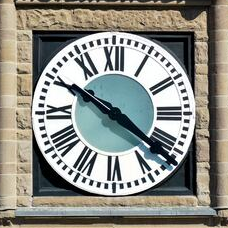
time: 10:21
